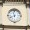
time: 11:41
